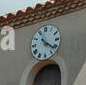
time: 4:21
